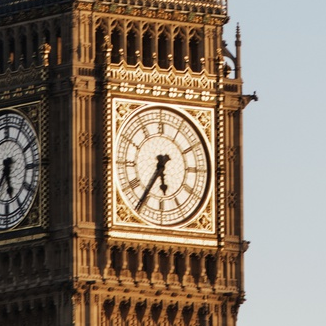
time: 5:35
